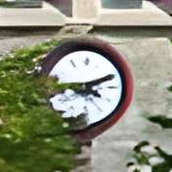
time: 4:11
